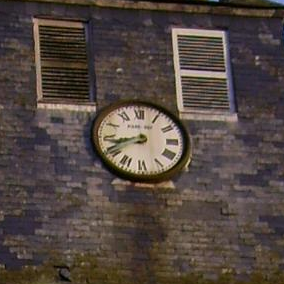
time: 8:40
